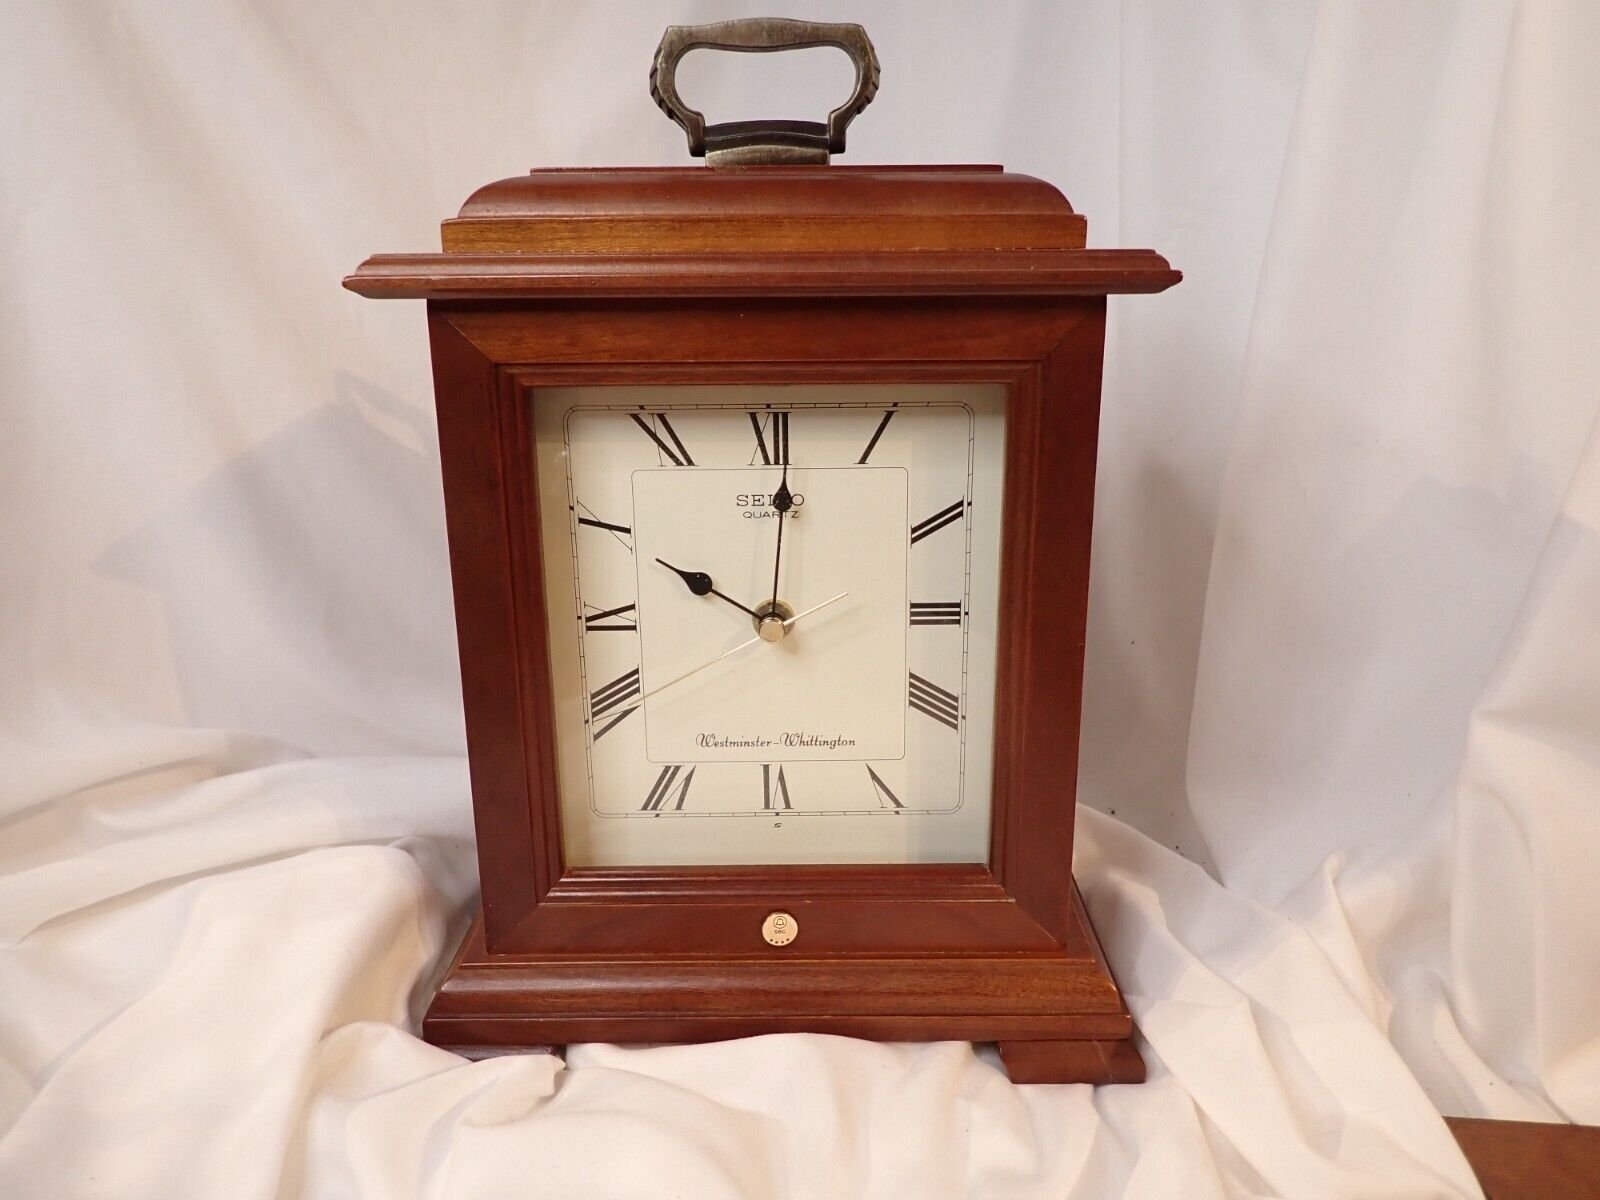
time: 10:00
